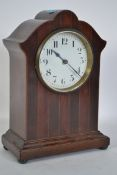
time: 10:21
